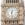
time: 12:28
